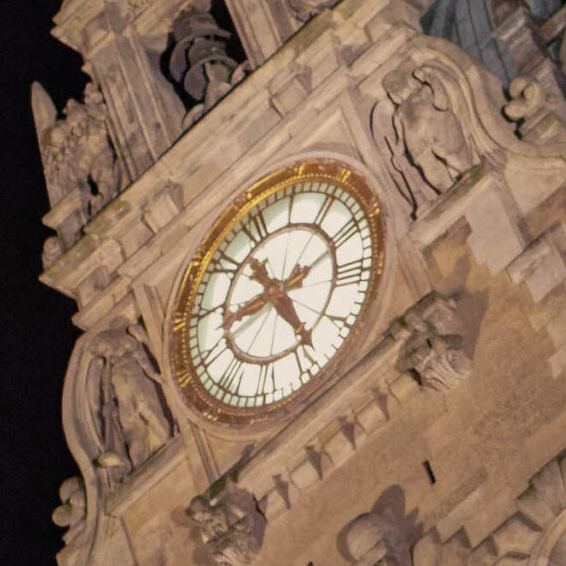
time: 8:23
